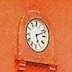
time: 5:11
